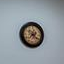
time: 7:21
